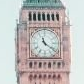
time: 11:21
